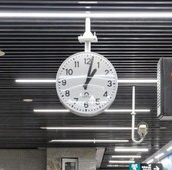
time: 1:02
